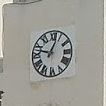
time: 12:47
